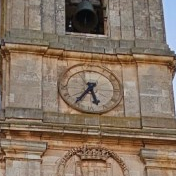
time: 5:36
